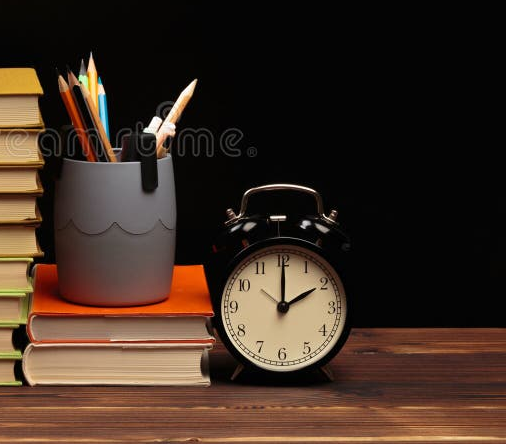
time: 2:00
